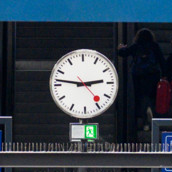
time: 2:46
